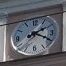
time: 2:19
